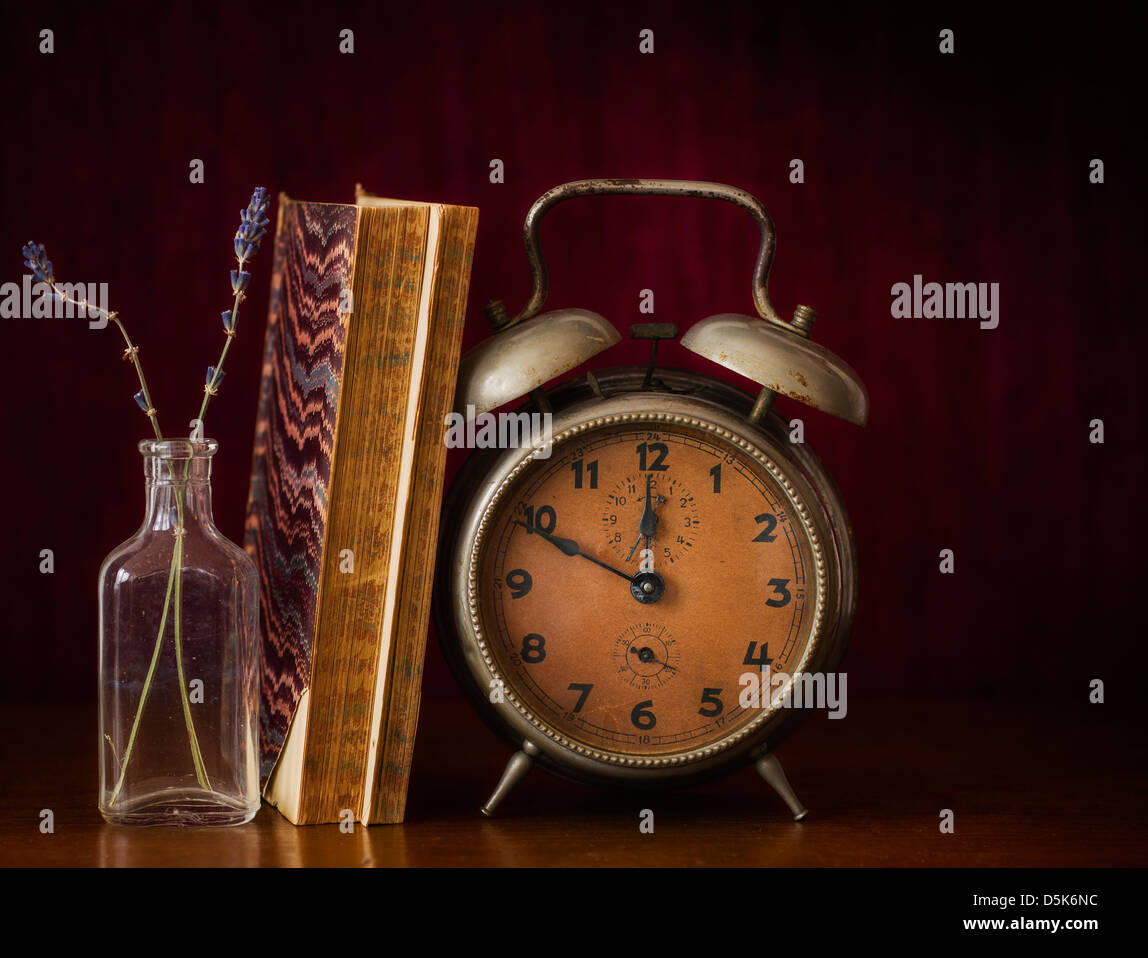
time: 11:49
